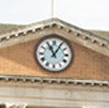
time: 11:05
